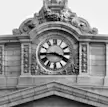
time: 3:44
